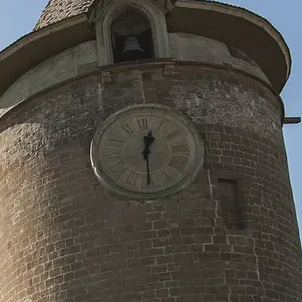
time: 12:29
